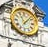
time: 11:07
